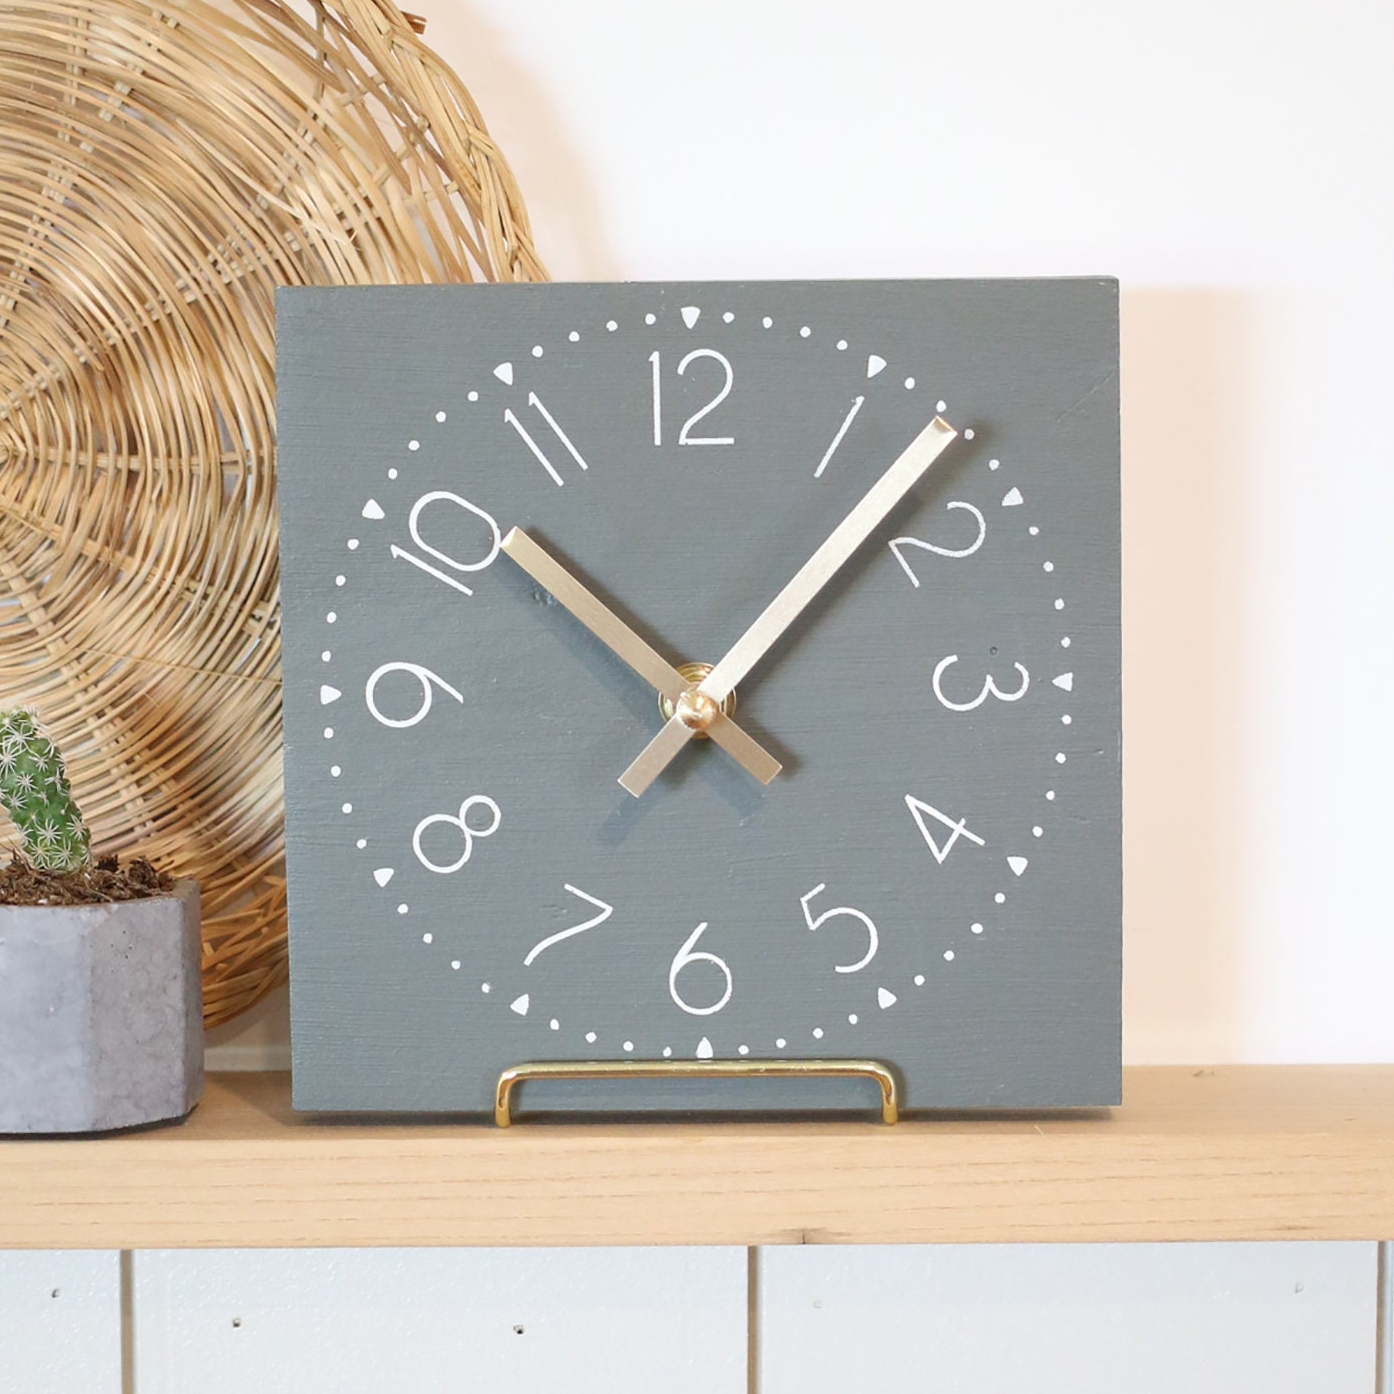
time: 10:07
